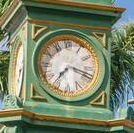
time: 7:18
